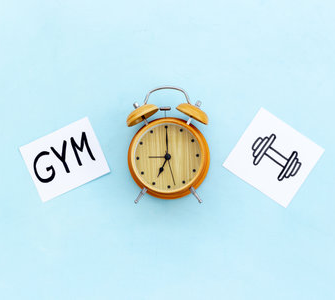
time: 7:00
